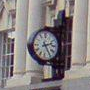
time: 2:24
